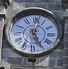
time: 5:01
